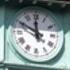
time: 11:49
